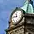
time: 11:46
